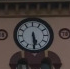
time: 5:29
